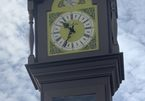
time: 10:34
